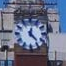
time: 12:23
